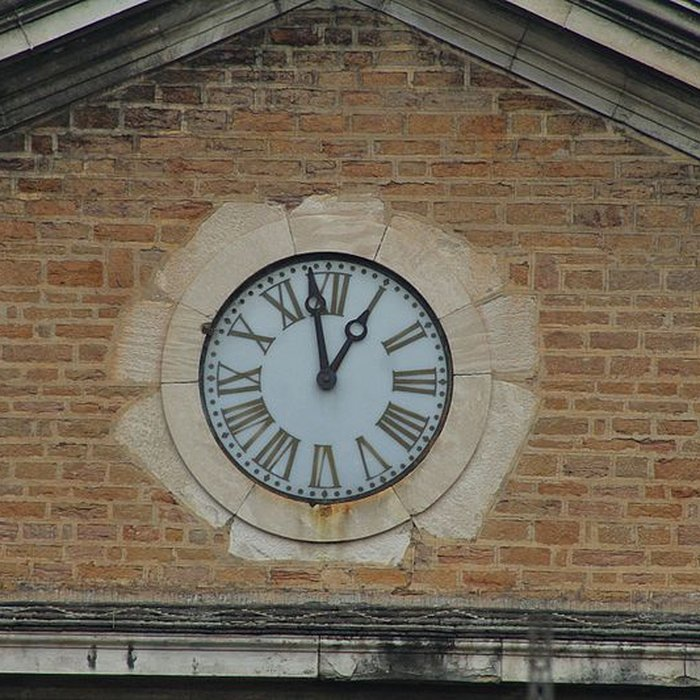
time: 12:58
